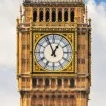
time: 12:56
